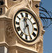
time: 11:35
